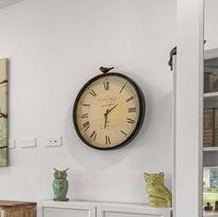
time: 1:31
